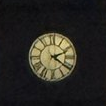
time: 2:21
